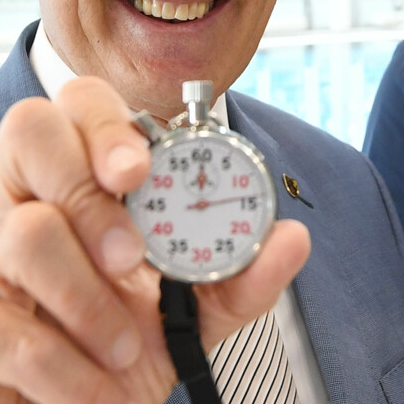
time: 12:13
